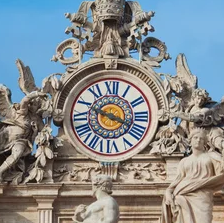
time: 3:48
